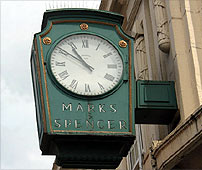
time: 10:50
